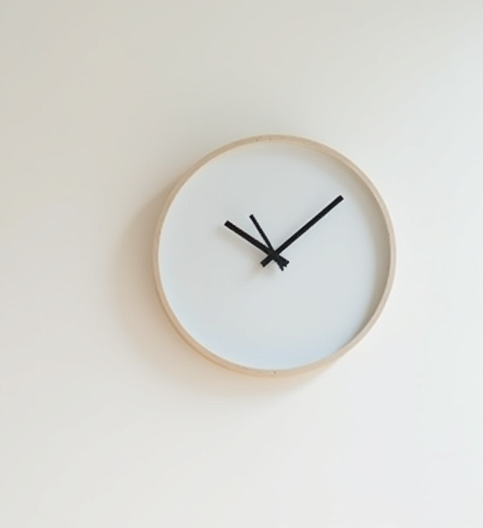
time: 10:07
